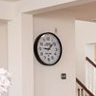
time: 9:07
